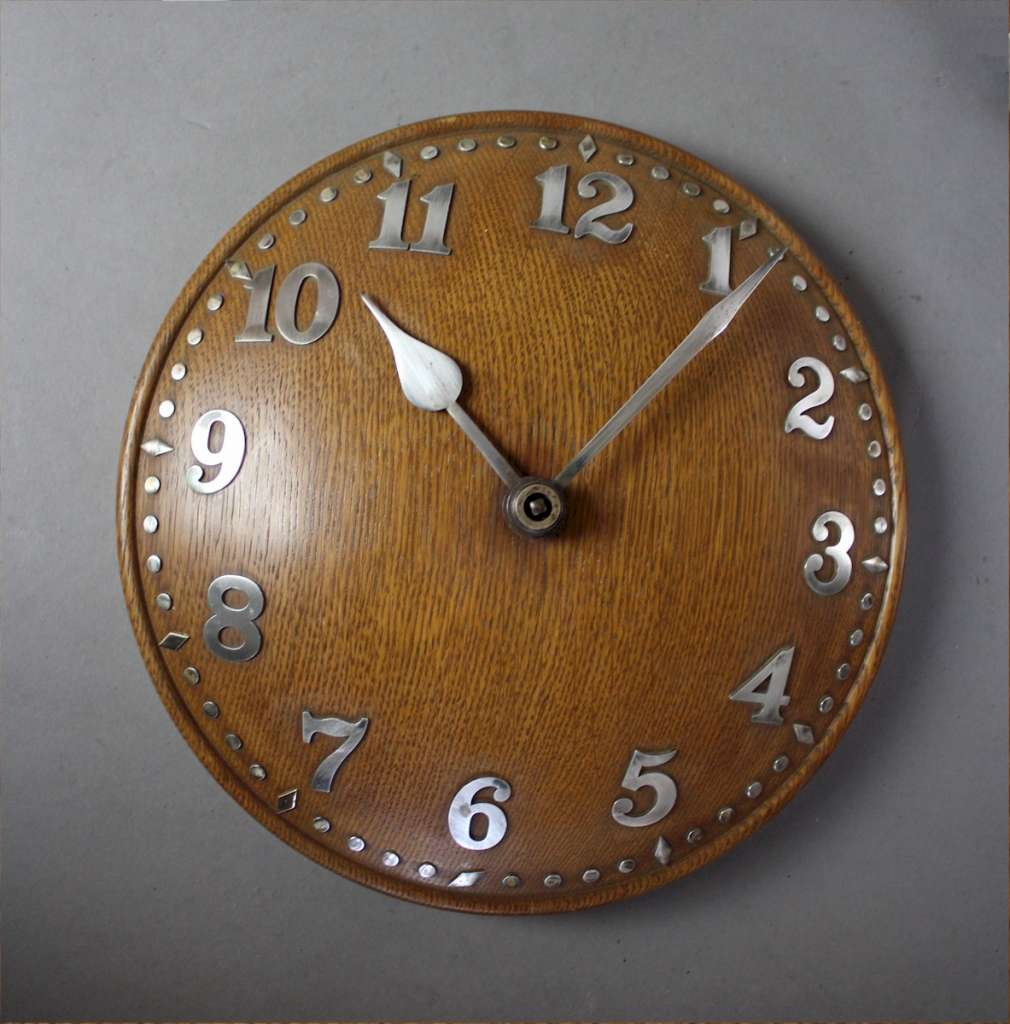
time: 10:06
